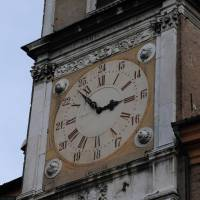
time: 2:53
